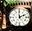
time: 2:00
